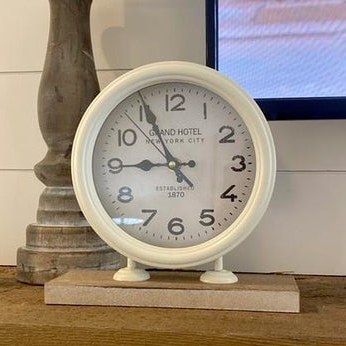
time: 8:55
